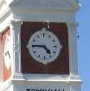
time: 4:45
